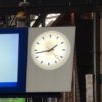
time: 1:43
